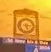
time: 3:27
